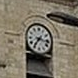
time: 7:16
